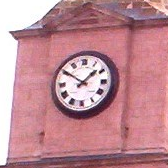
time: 1:50
